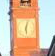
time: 6:03
